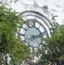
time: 2:11
